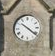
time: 10:21
